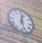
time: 12:27
